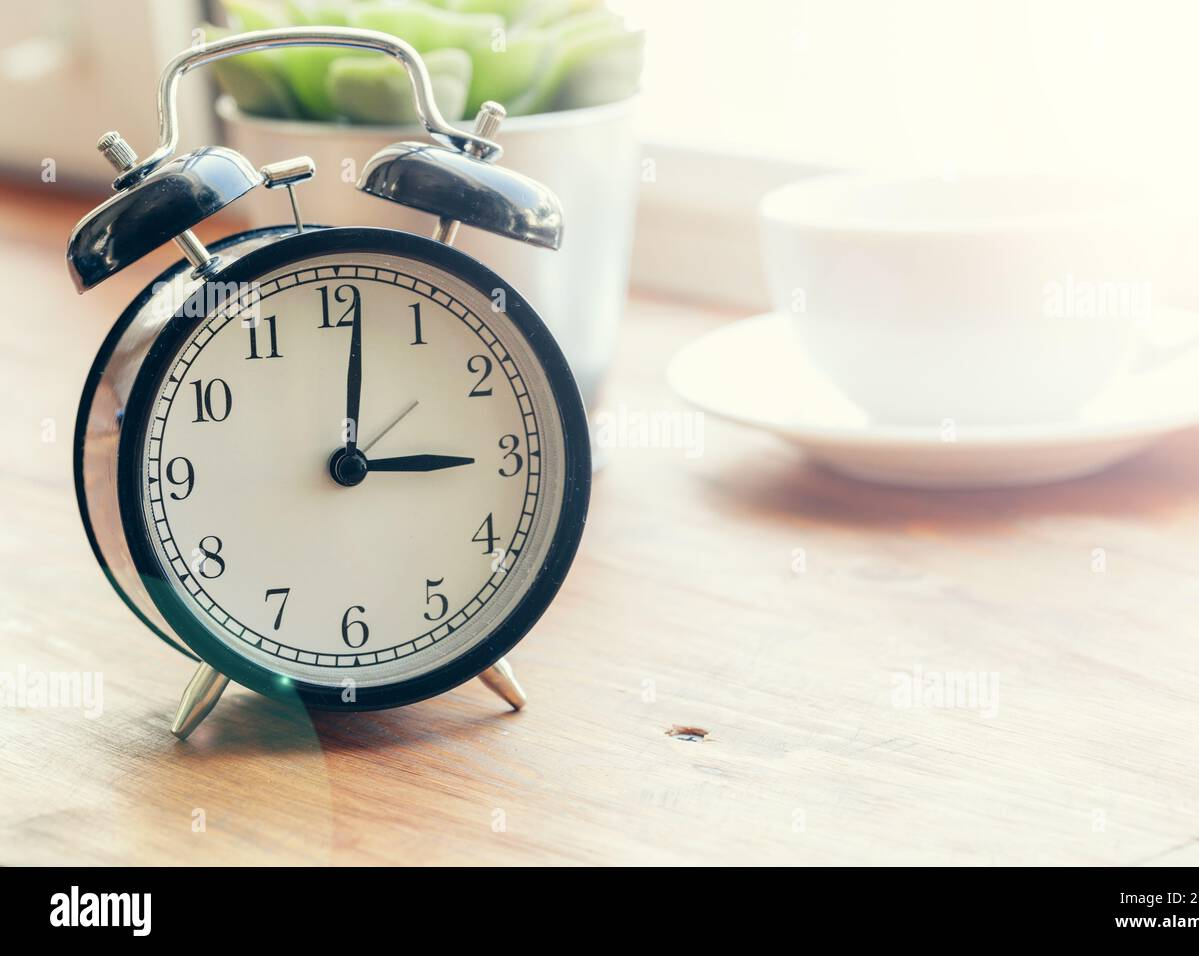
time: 3:01
